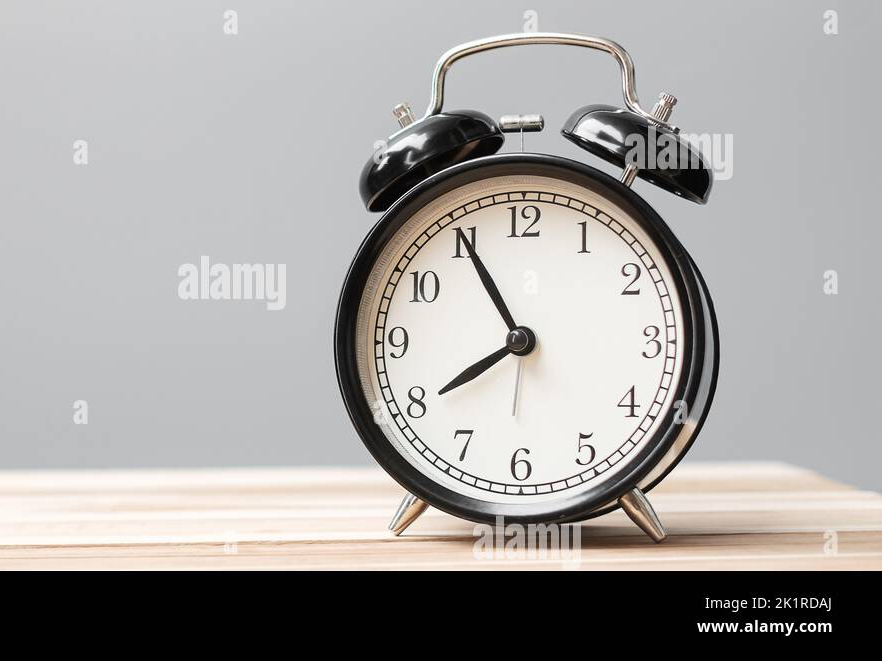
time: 7:55
